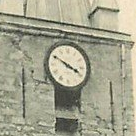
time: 3:49
